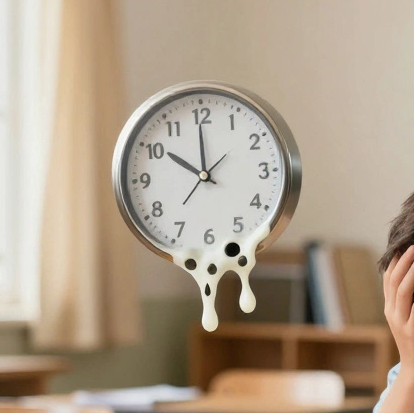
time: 9:59
